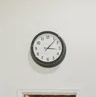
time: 3:07
